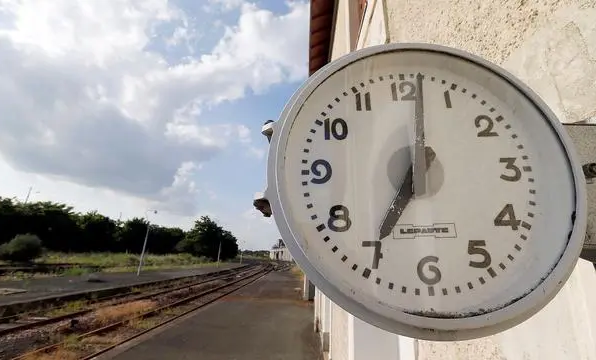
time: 7:01
